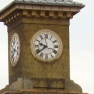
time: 9:38
